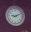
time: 9:10
